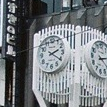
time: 2:20
